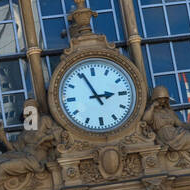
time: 2:56
